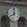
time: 7:59
